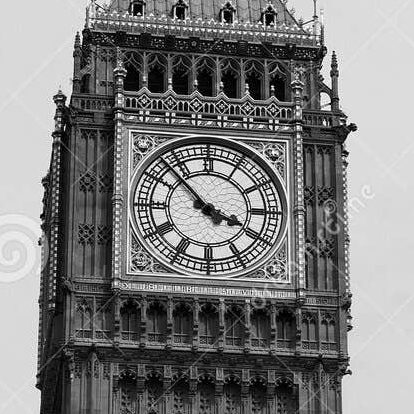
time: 3:52
